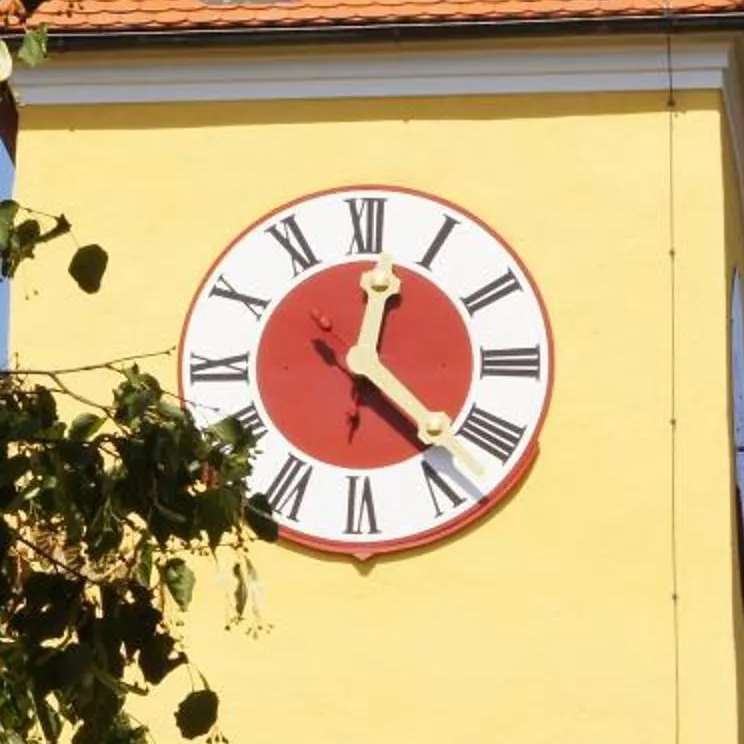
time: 12:22
